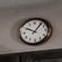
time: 10:06
